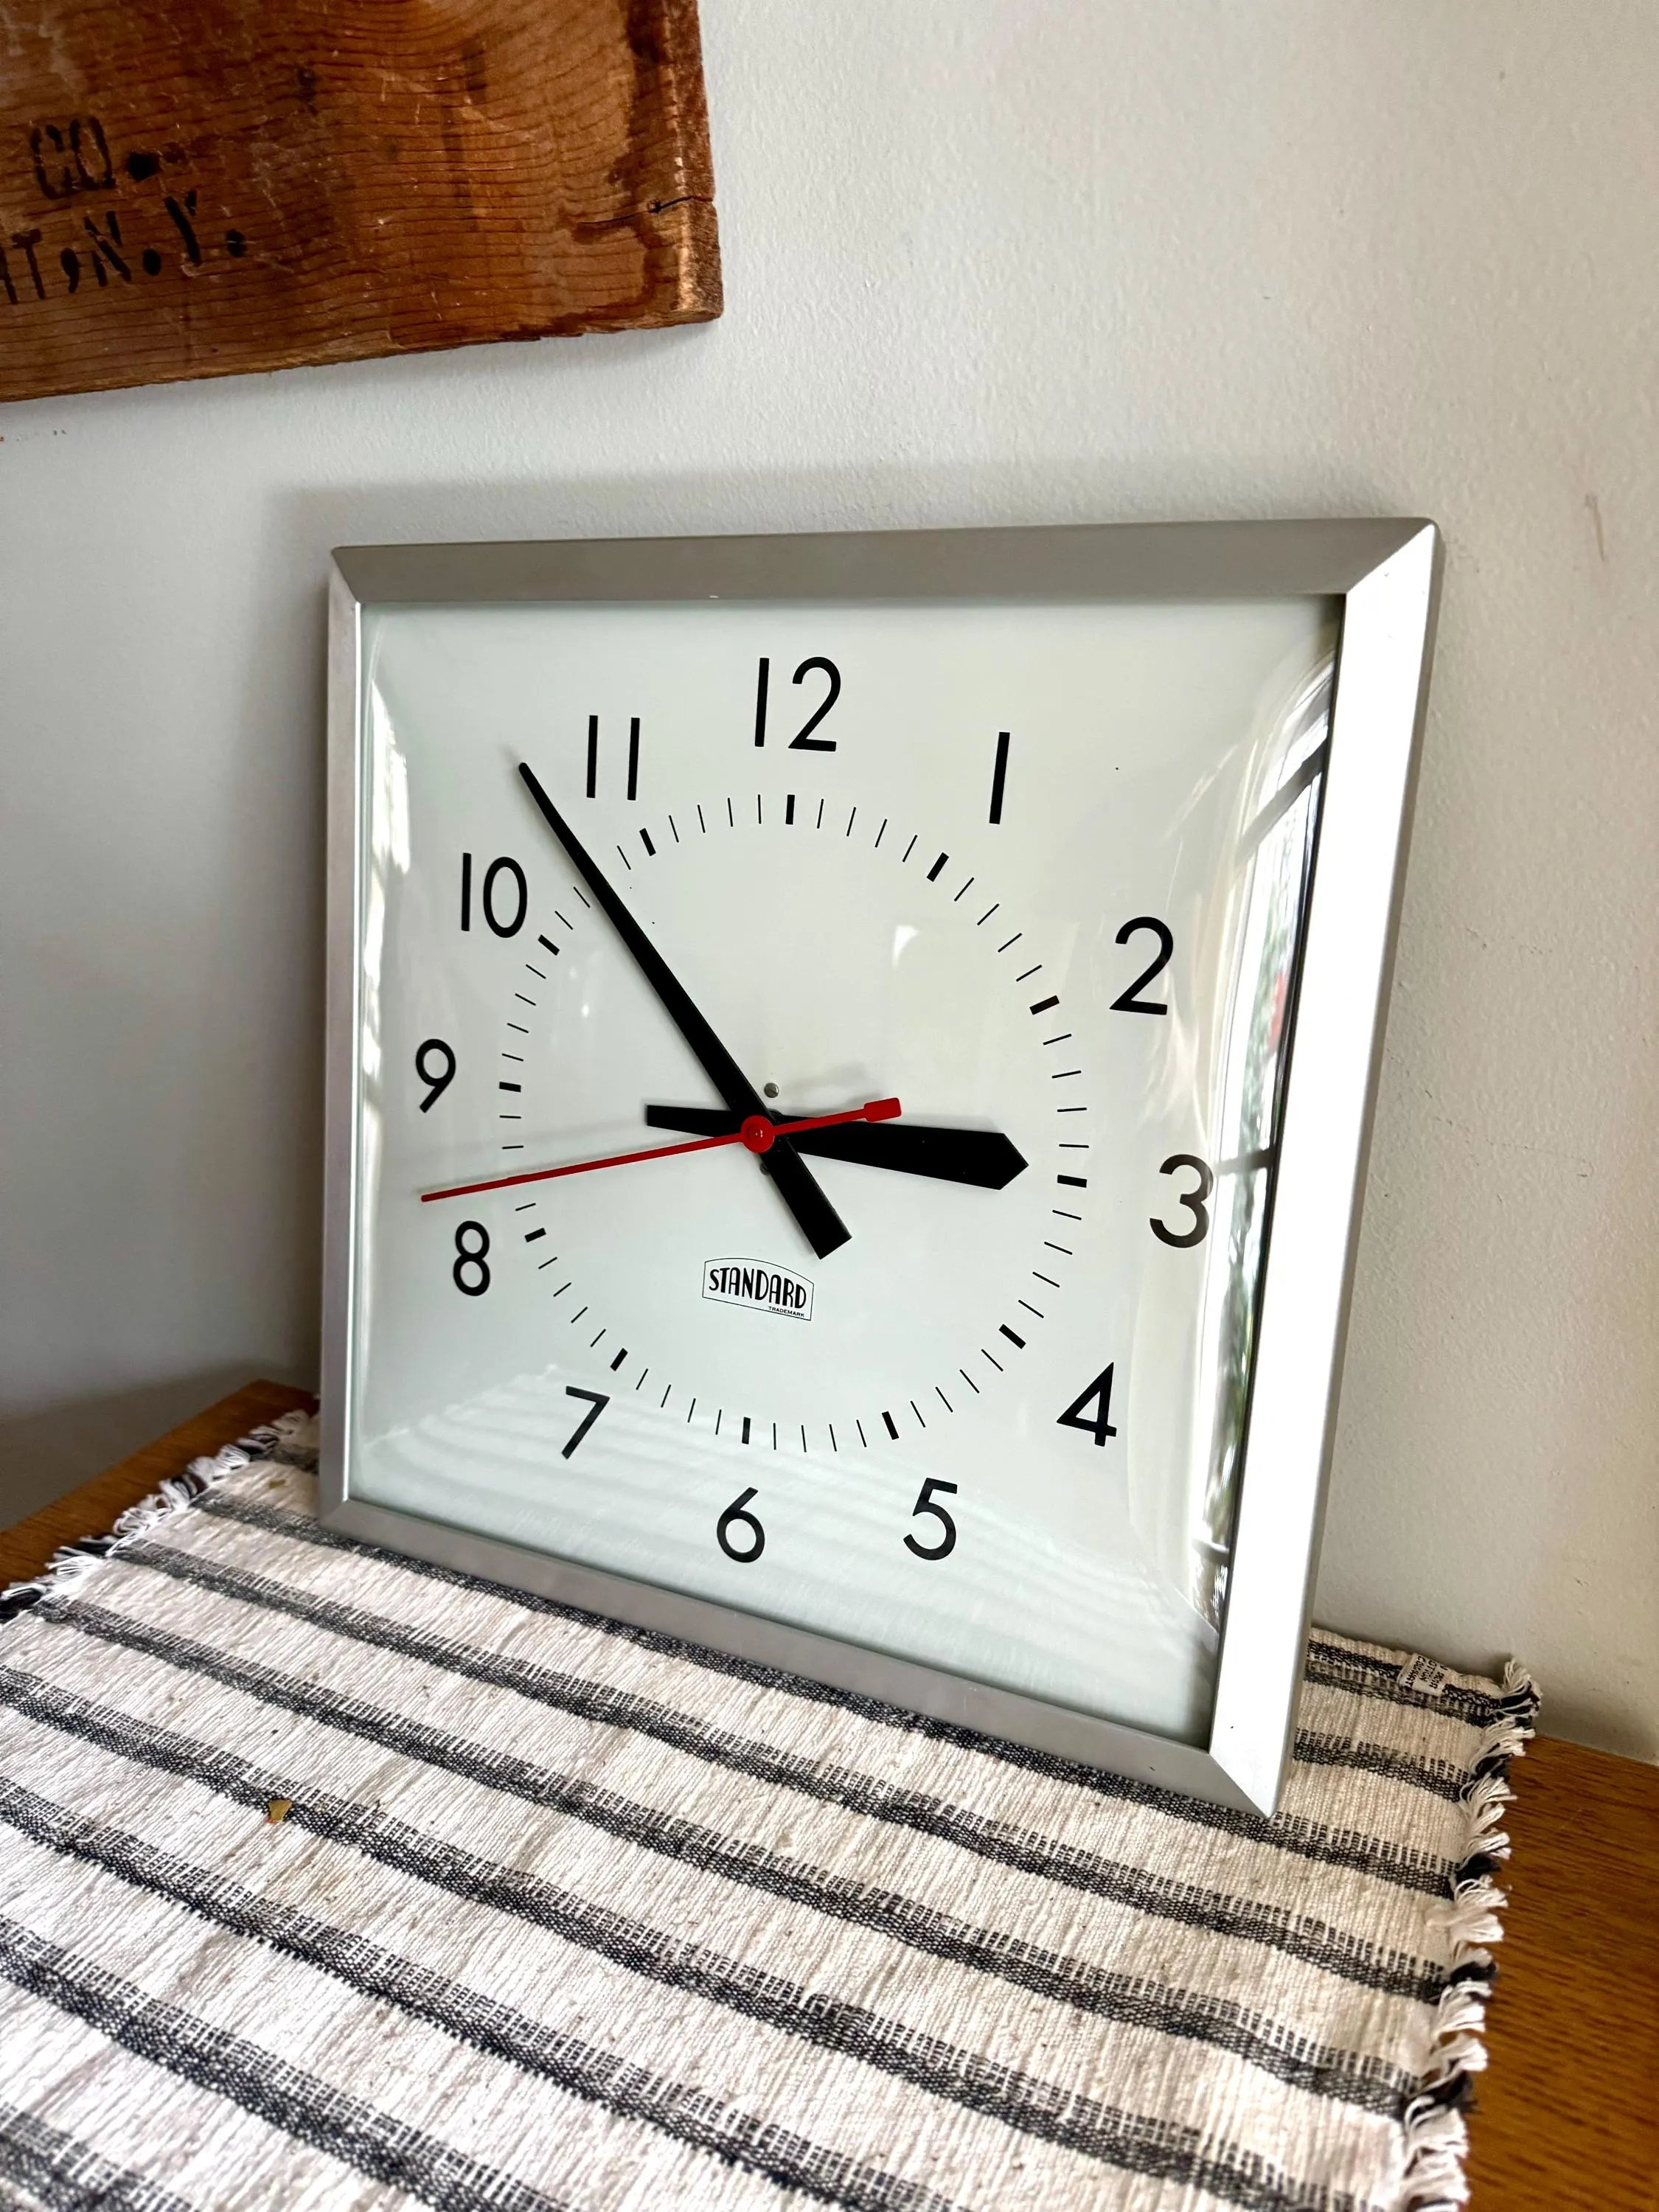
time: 2:52
